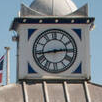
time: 2:43
